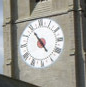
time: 4:54
